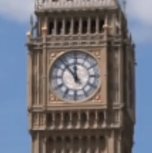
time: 11:53
